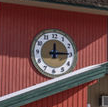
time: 12:14
